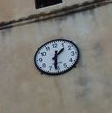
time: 1:31
